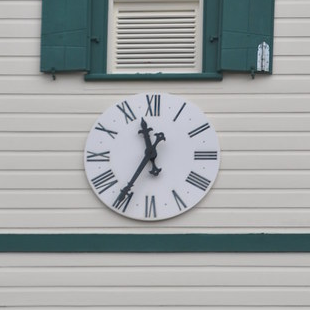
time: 11:35
